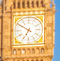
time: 6:50
